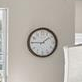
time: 1:45
